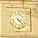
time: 4:22
